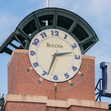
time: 2:33
